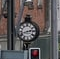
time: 2:42
